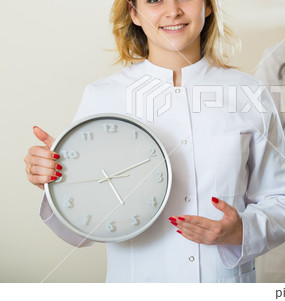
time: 5:11
